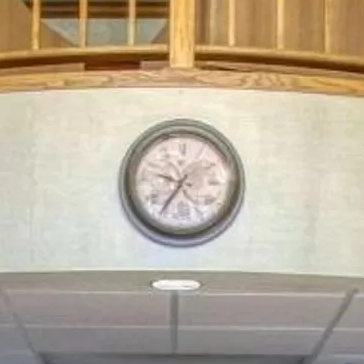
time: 9:35
